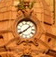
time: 1:39
